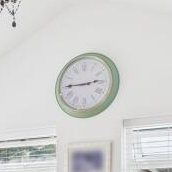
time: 2:45
